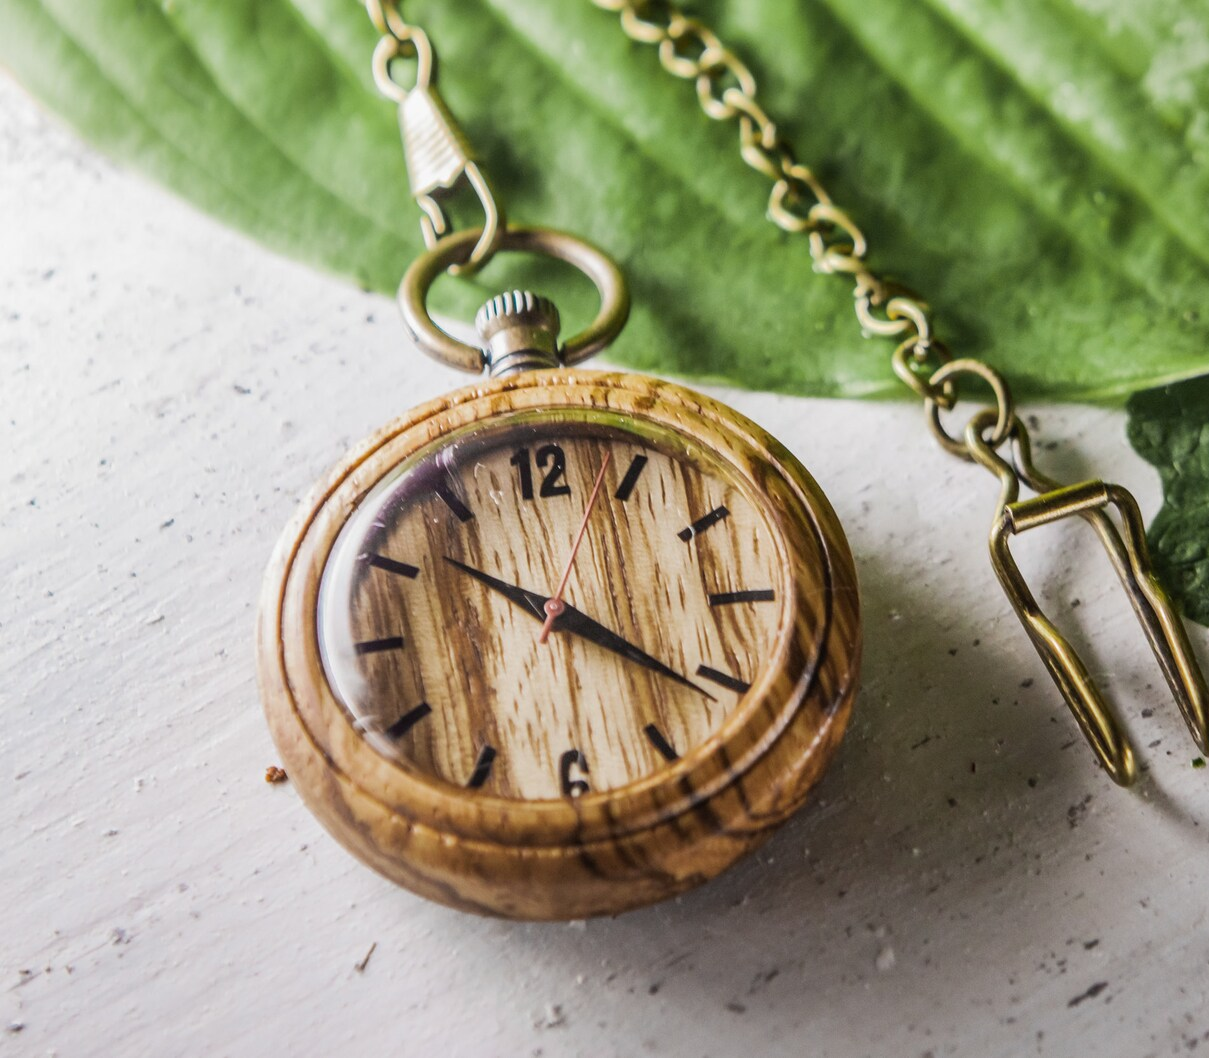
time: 10:21
